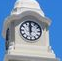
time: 12:00
